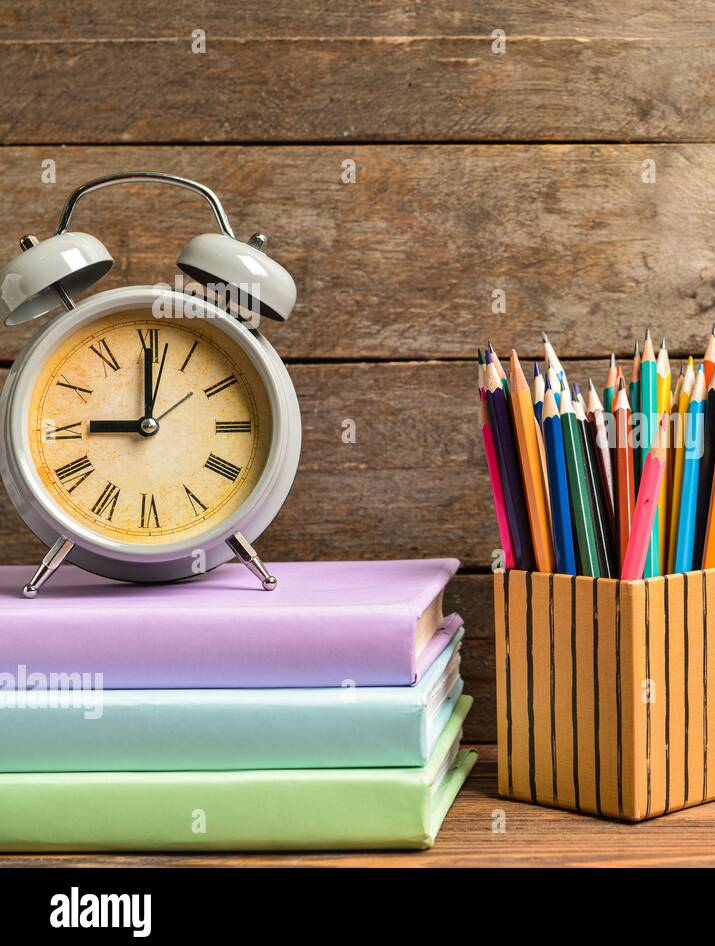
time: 9:00
